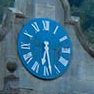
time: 6:28
